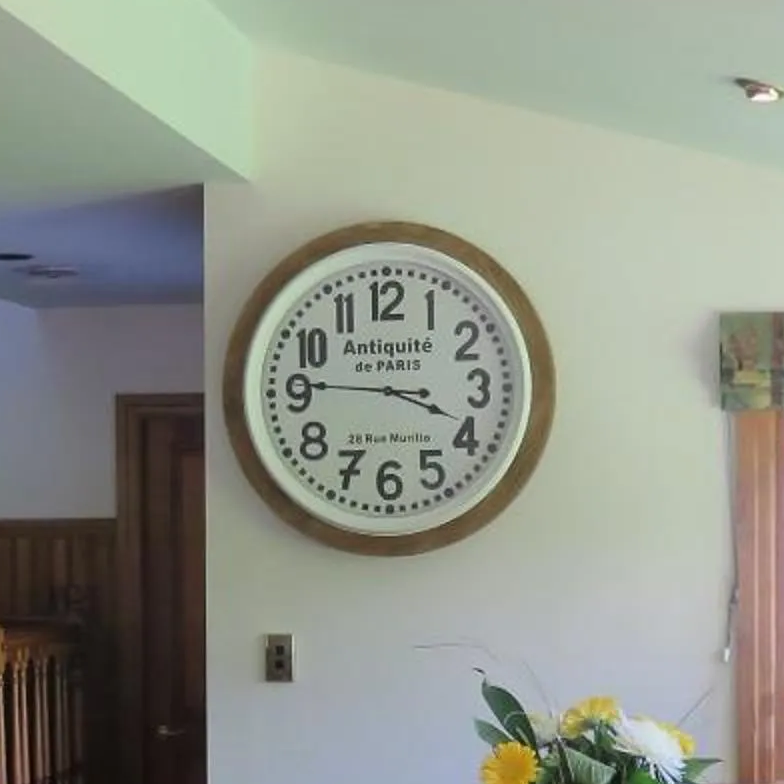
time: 3:45
